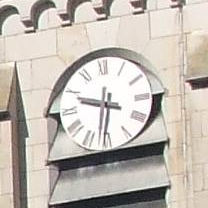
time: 9:31
